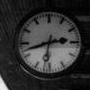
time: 2:42
